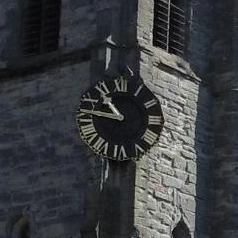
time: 10:46
